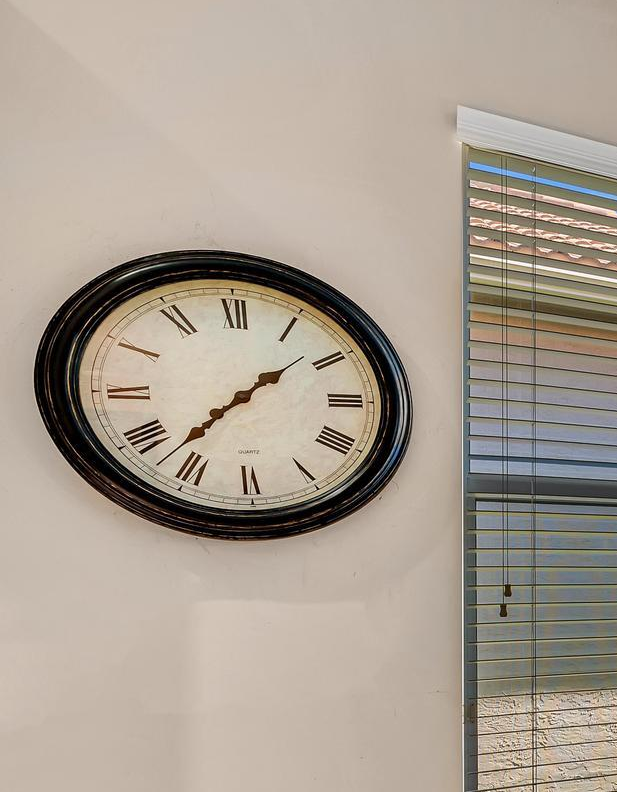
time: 1:37
